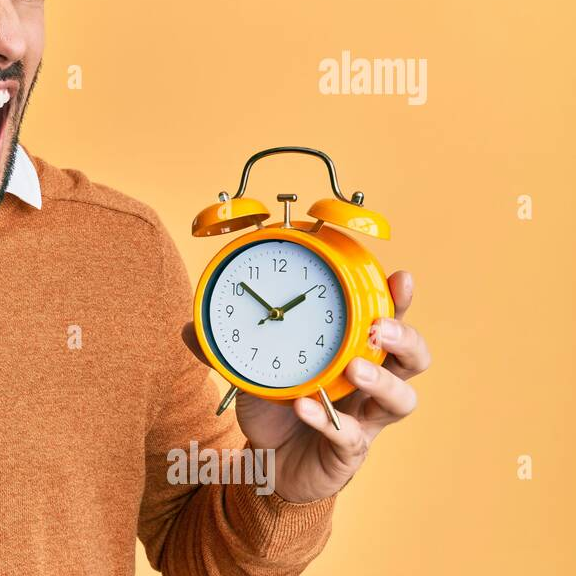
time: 1:51
